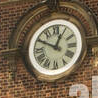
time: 12:49
